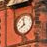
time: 7:58
